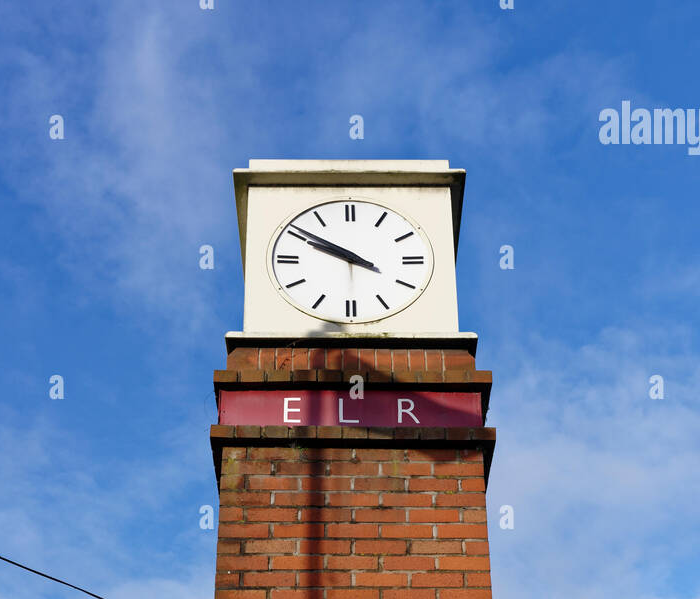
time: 9:50
